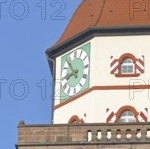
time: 8:54
